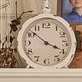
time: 3:51
